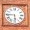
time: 5:45
